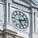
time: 5:12
